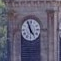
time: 4:56
